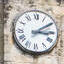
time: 3:09
